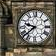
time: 9:38
